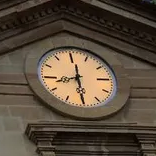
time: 8:29
